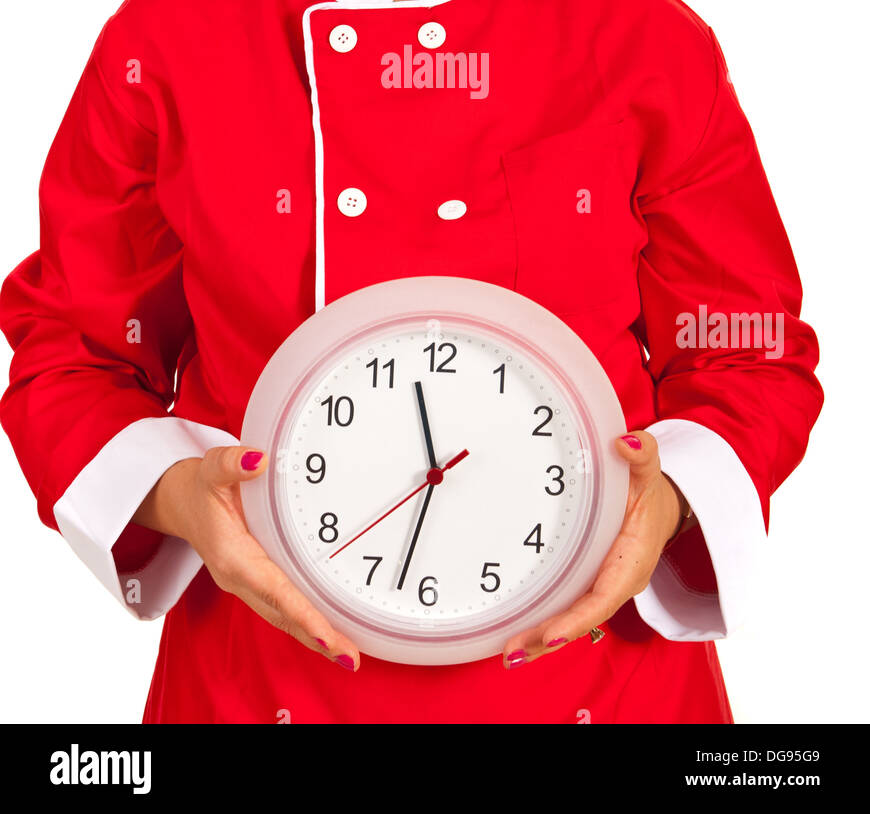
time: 11:32
